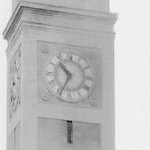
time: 10:34
